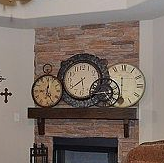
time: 5:38
